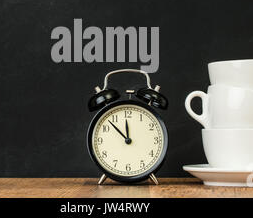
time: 11:52
